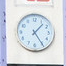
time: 1:24
